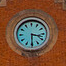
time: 3:30
